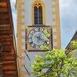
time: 4:02
